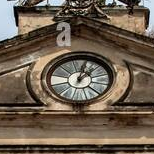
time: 12:07
